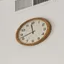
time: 11:41
